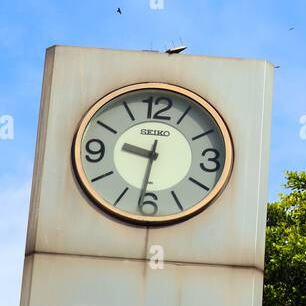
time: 9:31
